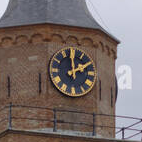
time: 1:59
